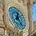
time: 12:23
